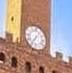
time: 7:06
